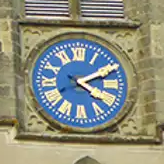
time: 4:10
